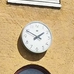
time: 1:49
